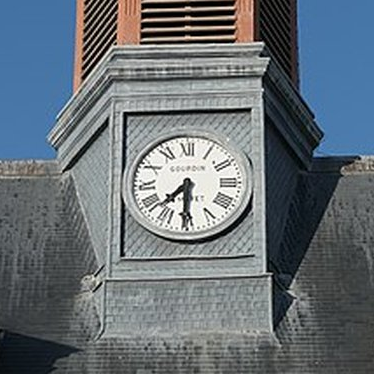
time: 7:30
